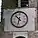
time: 10:32
